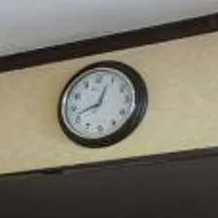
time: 12:42
